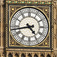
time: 4:43
